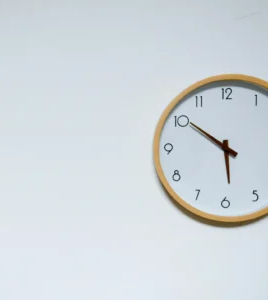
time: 5:50
